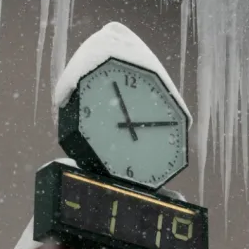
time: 11:12
